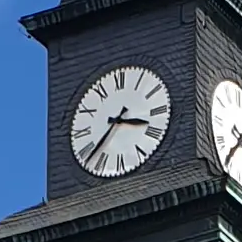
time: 3:37
